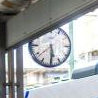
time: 5:30
